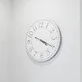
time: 4:20
